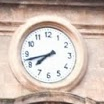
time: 7:42
